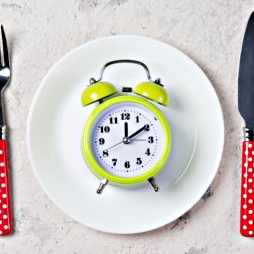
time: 12:09
